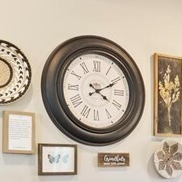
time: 4:10
